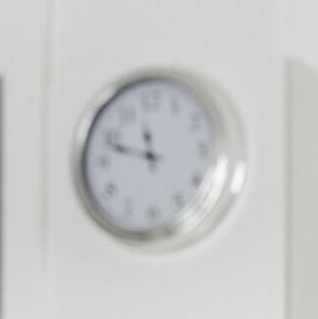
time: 11:48
